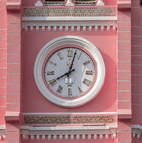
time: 8:02
